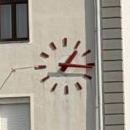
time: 1:16
